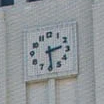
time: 2:29
